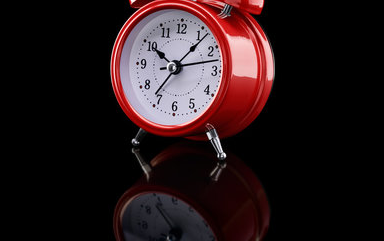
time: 10:36
